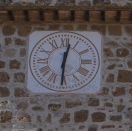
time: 12:30
